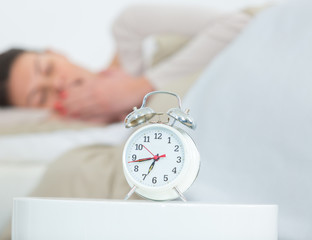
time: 6:43
